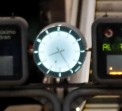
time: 8:24
